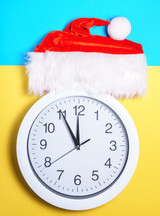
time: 11:55
